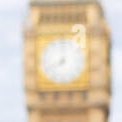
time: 8:01
